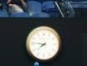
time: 7:46
